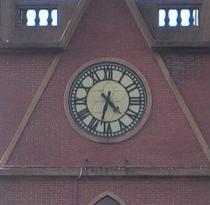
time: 4:32
